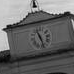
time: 11:28
